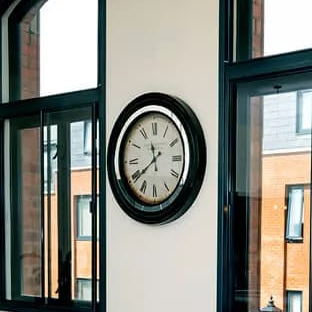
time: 11:38
